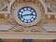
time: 2:42
